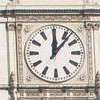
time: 12:06
